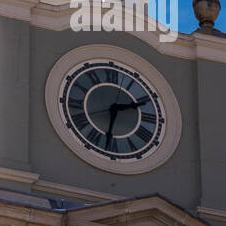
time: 2:32
